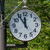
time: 11:54
